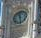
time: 11:28
